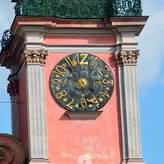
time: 5:54
